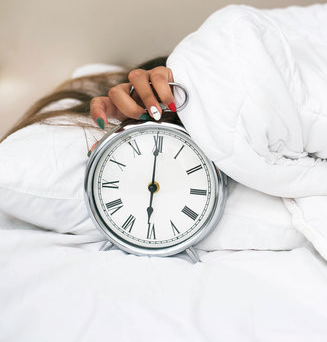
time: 6:00
